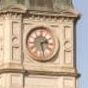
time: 2:28
